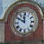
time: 11:50
